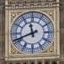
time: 11:41
